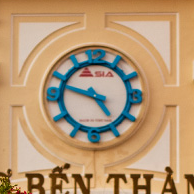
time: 4:48
